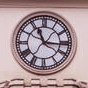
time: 11:15
